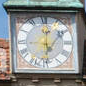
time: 12:08
